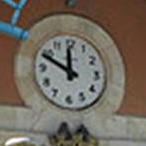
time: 11:49
